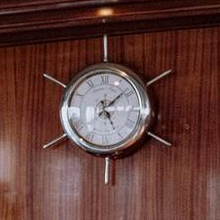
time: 5:08
